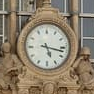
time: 5:17
